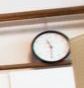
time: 11:30
